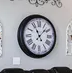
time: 11:07
